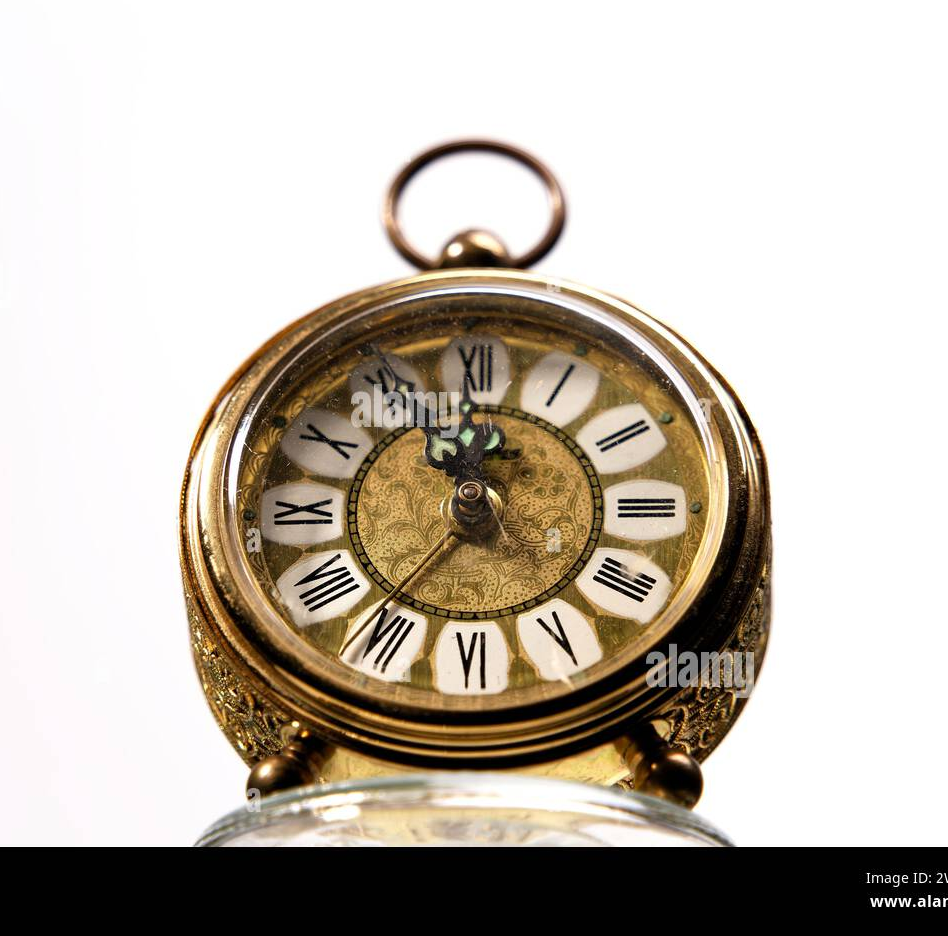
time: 11:35
